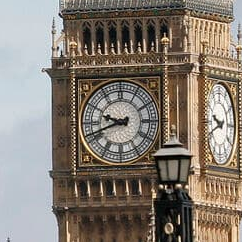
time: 9:41
